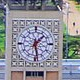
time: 1:28
